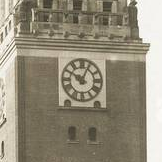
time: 10:04
